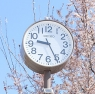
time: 9:25
